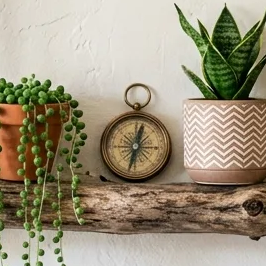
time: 12:32
